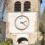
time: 2:21
